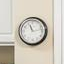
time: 11:13
